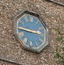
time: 2:46
